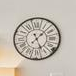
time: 1:26
